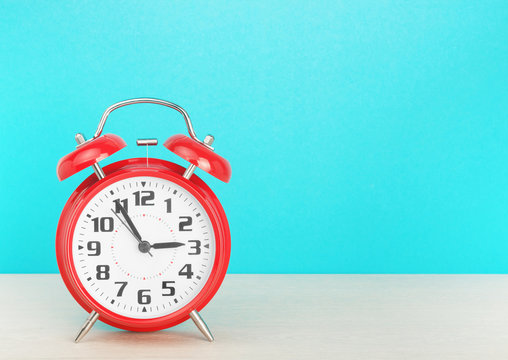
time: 2:54
